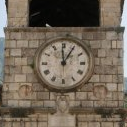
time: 12:59
